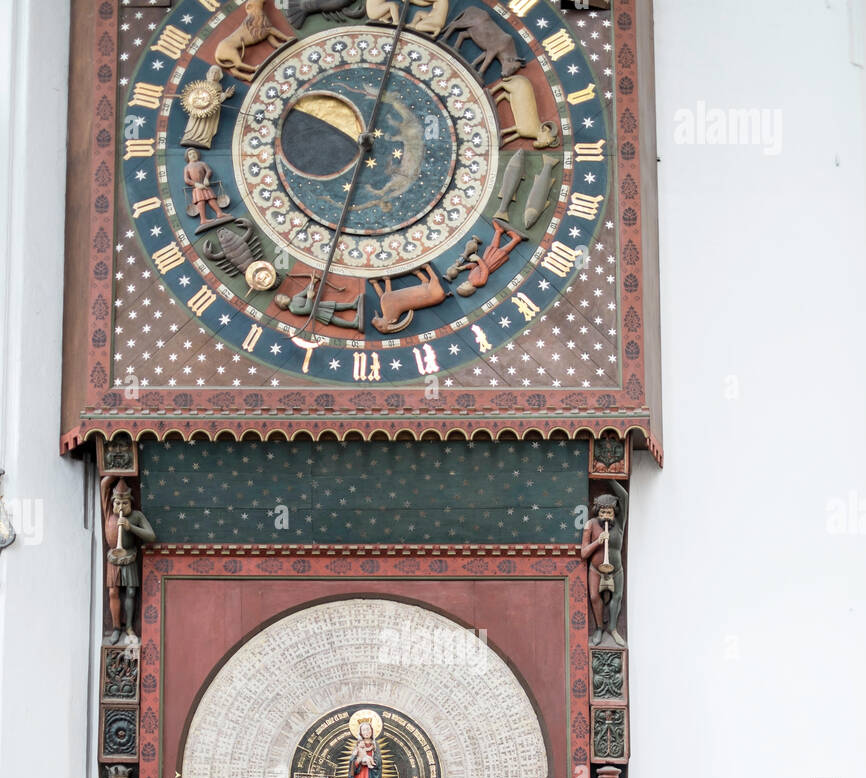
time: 10:02
